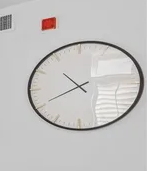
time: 10:40
